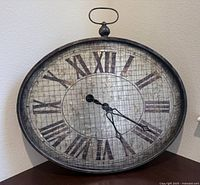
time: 5:19
